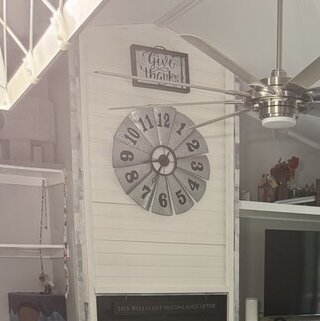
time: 7:33
